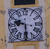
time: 9:28
